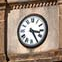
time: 3:24
